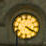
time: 4:20
